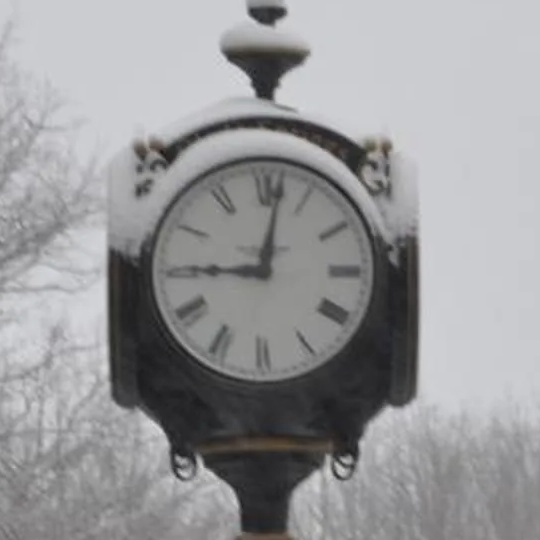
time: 9:01
